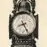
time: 8:25
